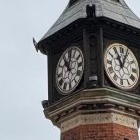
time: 11:02
